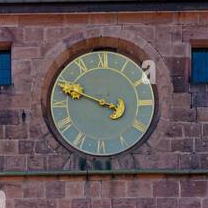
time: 9:48
